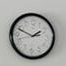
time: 1:48
